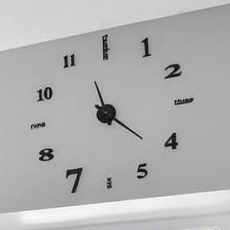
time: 11:21
